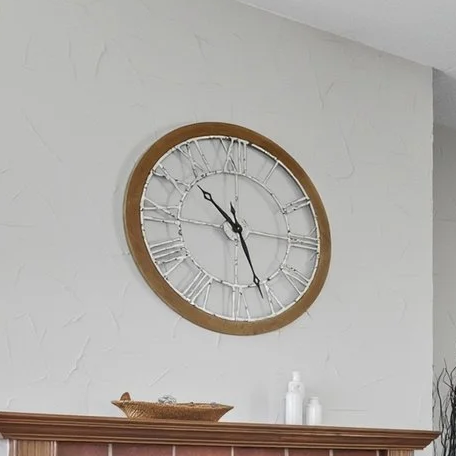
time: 10:26
